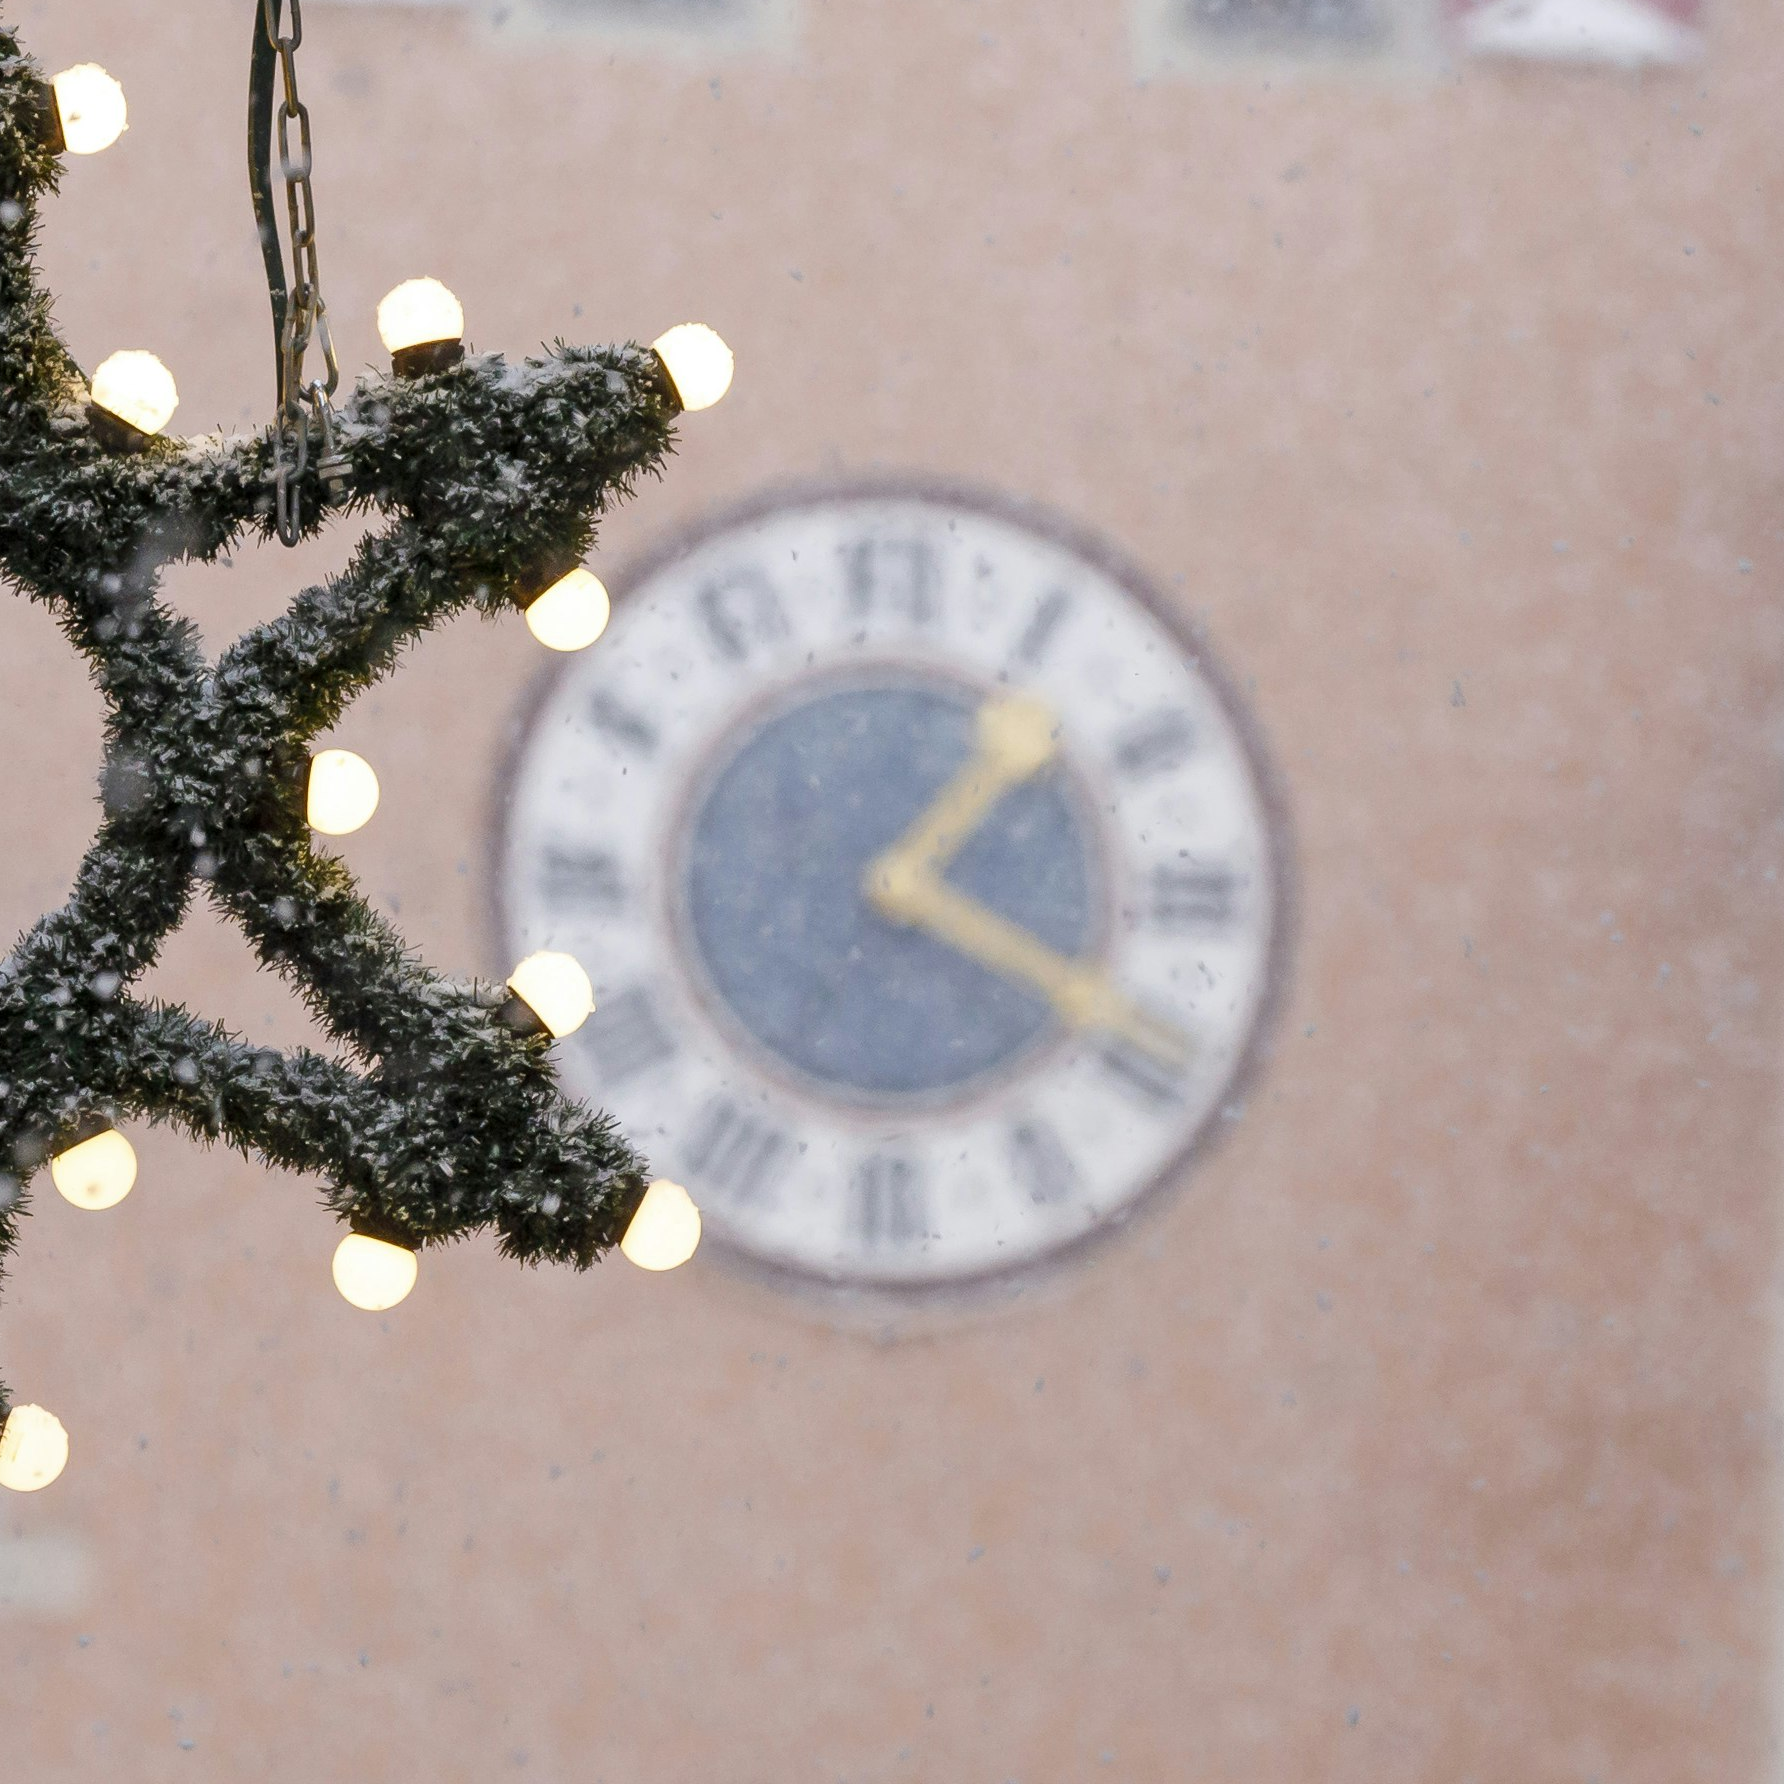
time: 1:19
